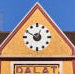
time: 12:49
